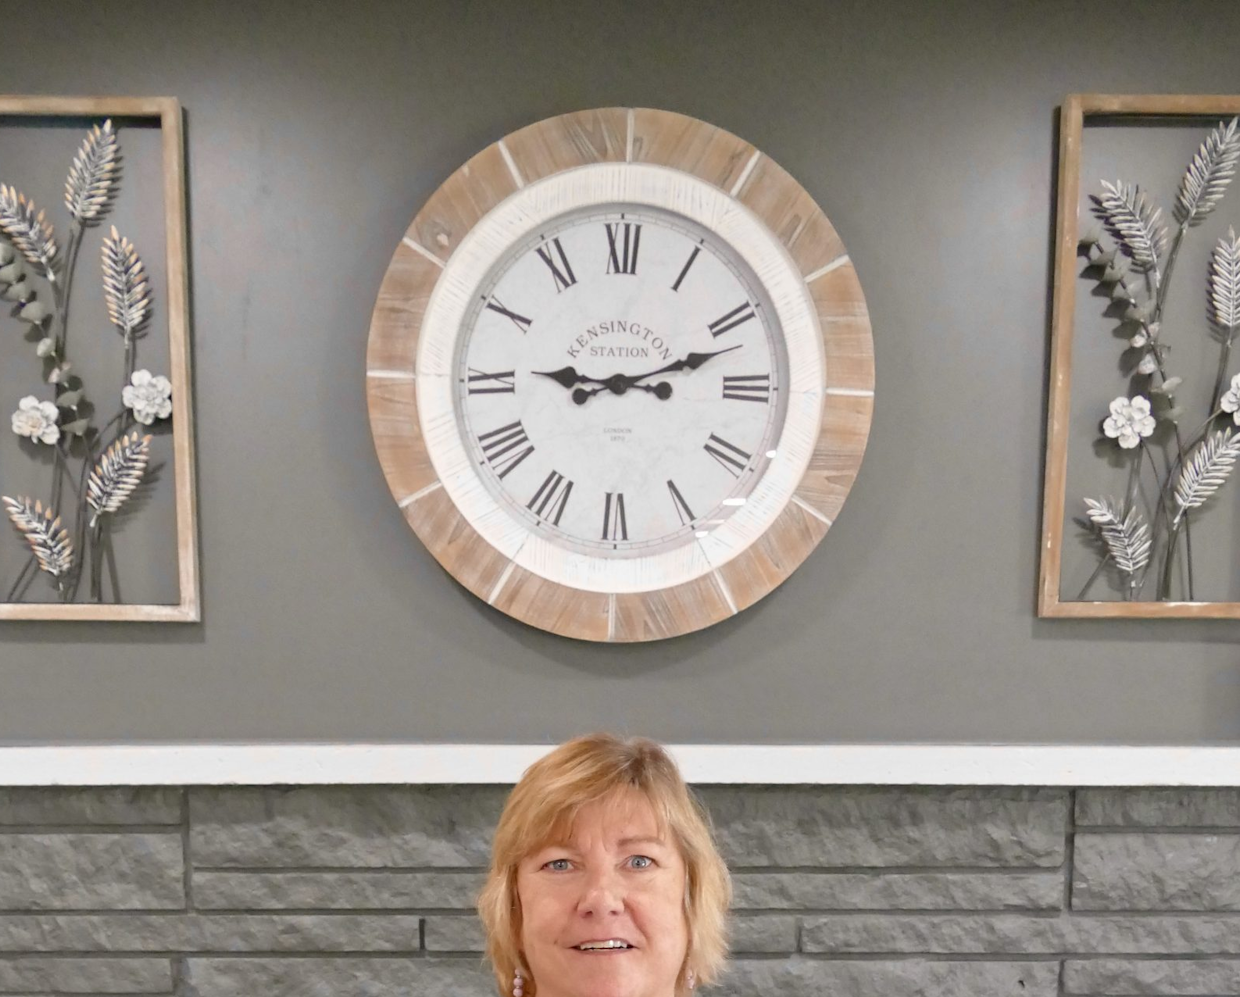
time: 9:11
